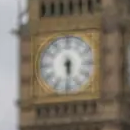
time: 5:30
